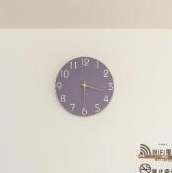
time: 6:17
